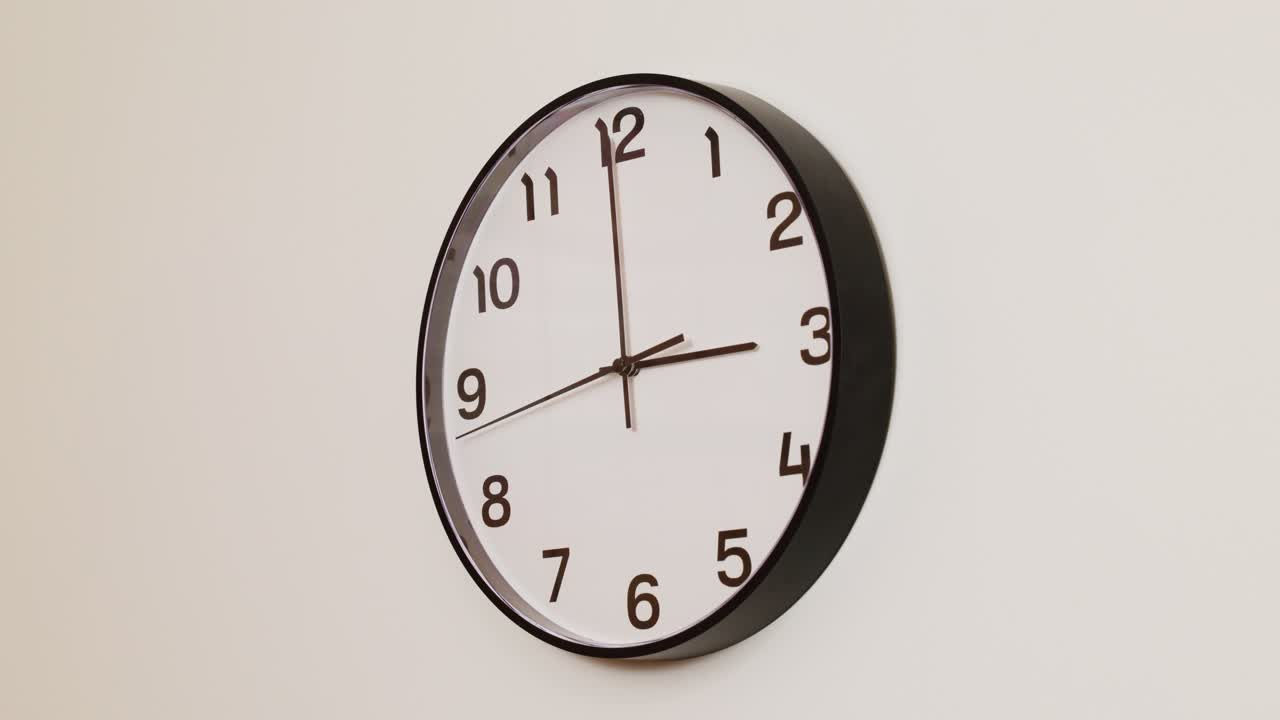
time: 2:59
